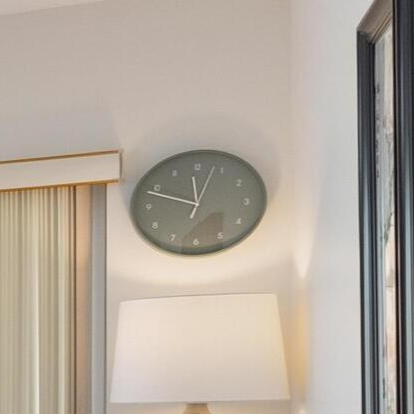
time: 11:48
